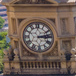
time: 3:13
